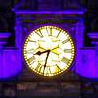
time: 8:32
